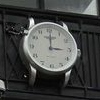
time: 3:00
